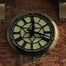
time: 12:17
